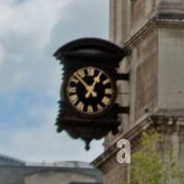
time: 12:52
